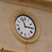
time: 2:57
